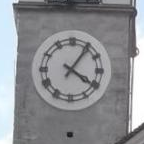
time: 4:05
